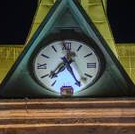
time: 7:25
